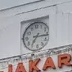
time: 7:15
